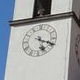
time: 5:18
